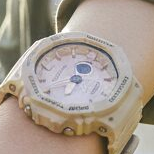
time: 11:41
